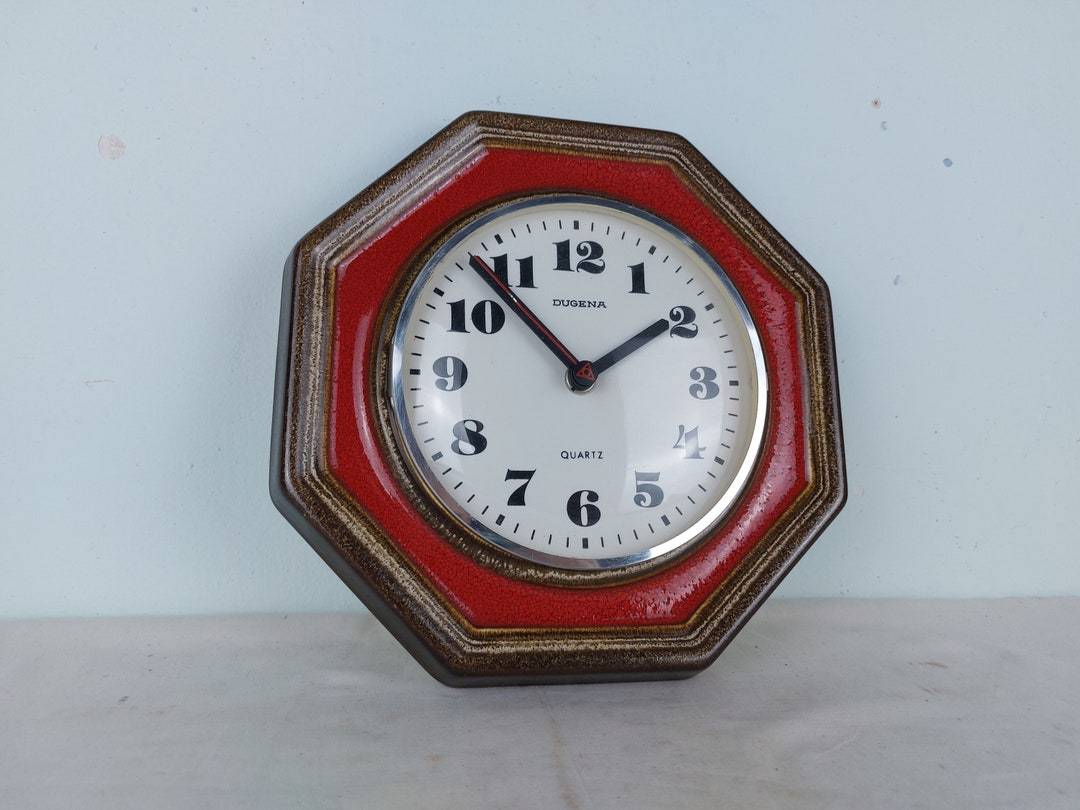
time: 1:53
